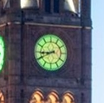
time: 8:40
